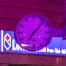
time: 7:07
